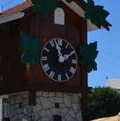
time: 1:58
